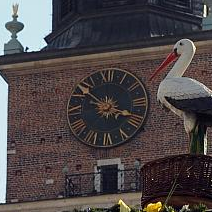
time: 3:52
